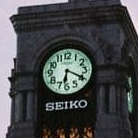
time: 6:19
